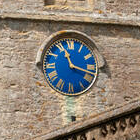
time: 11:18
